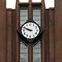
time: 9:48
